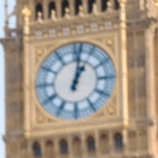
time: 1:02
